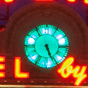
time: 5:26
